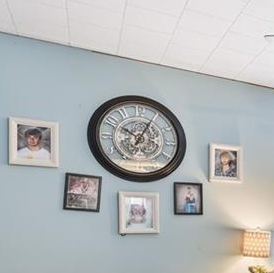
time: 10:04
